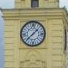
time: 1:37
